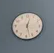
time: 12:27
